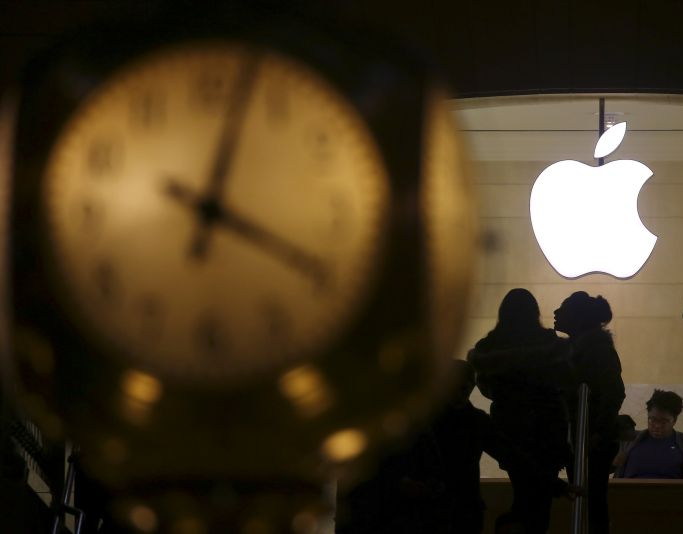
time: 4:02
